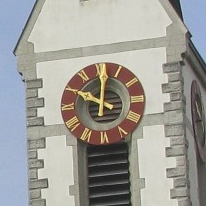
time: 10:00
